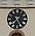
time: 7:25
